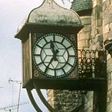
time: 11:35
